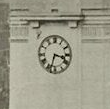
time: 3:33
